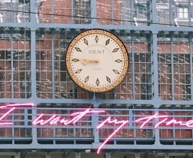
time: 8:45
